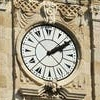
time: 2:09
